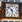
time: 5:51
